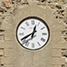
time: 12:40
